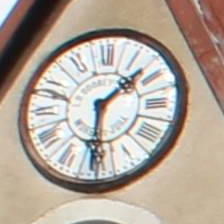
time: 1:30
